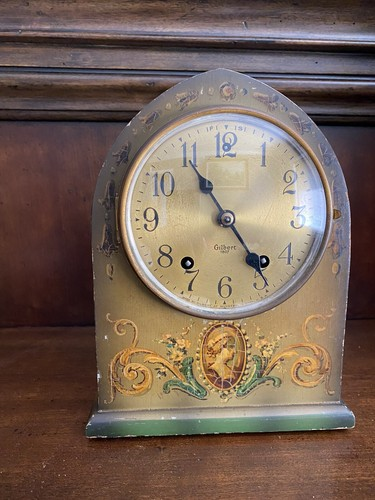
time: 4:55
